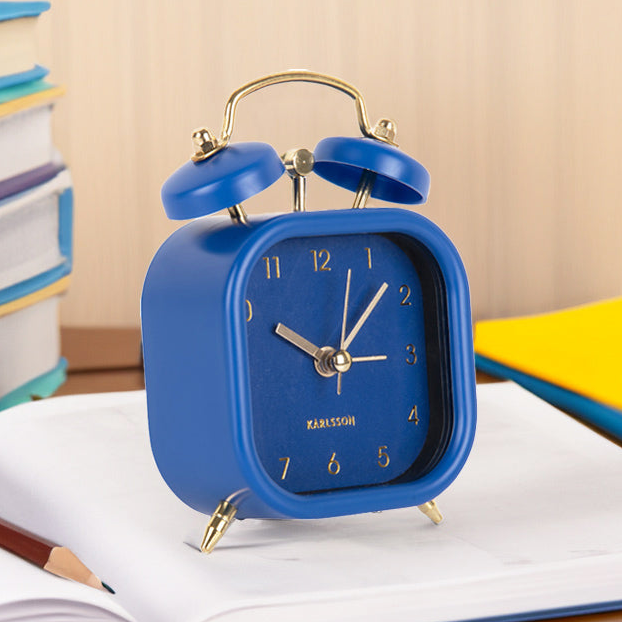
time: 10:07
